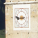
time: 8:46
